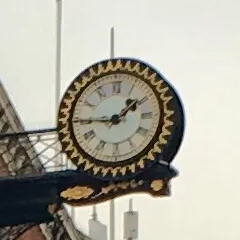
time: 1:44
